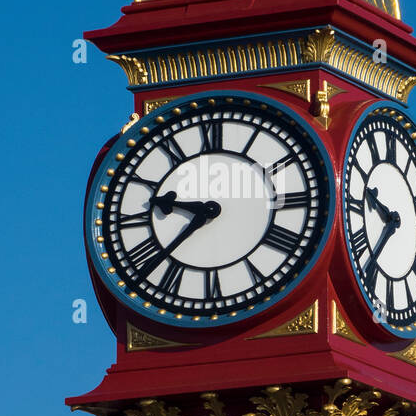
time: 9:37
